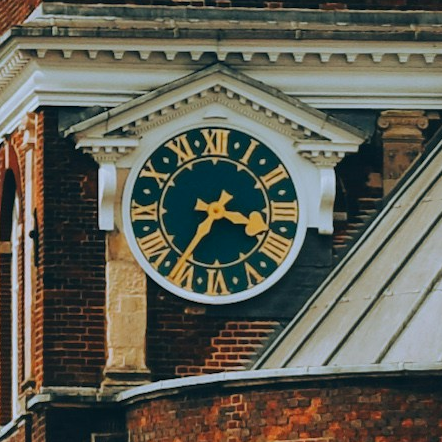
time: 3:35
